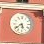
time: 5:38
